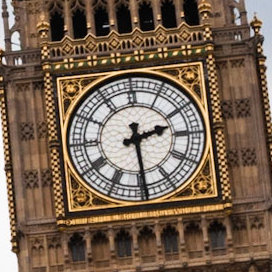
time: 2:29
